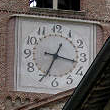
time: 3:34
